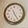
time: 11:25
